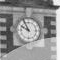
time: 9:55
